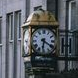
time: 6:20
